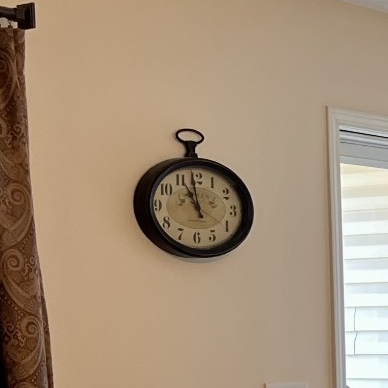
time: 10:59
